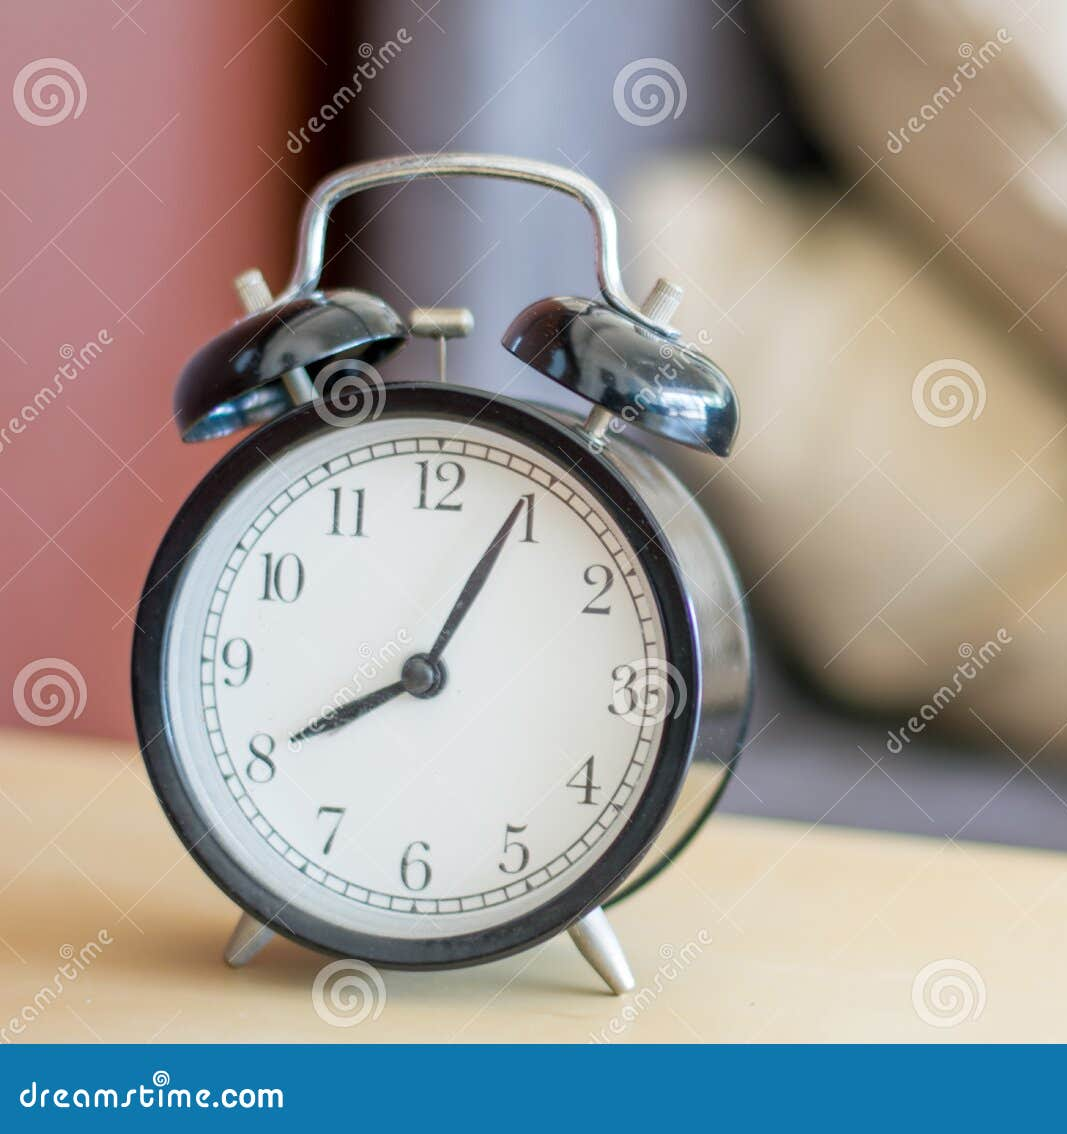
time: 8:04
